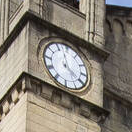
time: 3:58
